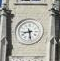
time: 8:28
